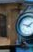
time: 1:47
